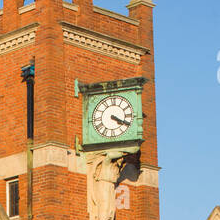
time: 4:19
